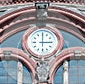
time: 3:00
